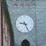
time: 9:25
